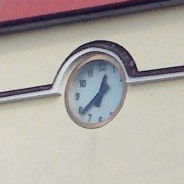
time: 12:38
